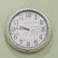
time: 9:45
